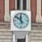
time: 11:51
